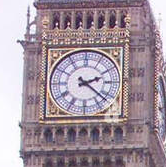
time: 2:21
